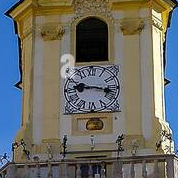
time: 9:17
